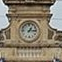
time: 1:16
